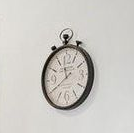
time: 11:39
